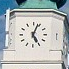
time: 5:03
